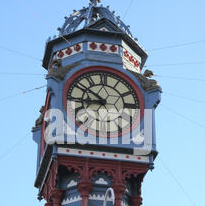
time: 8:50
